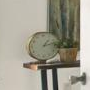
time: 1:12
